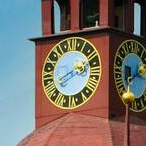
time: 2:40
